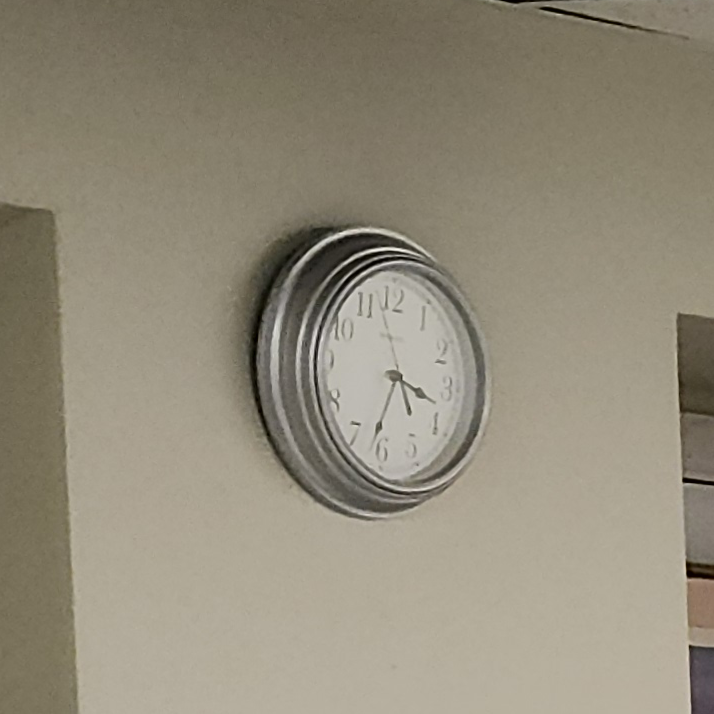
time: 3:32
